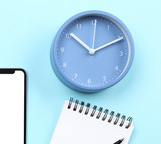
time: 10:10
